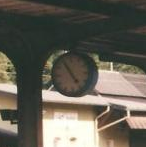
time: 4:54
